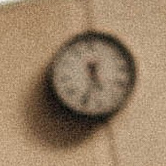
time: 11:33
